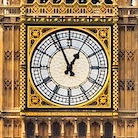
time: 12:56
